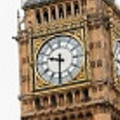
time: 9:31
